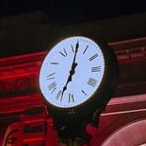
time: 7:01
